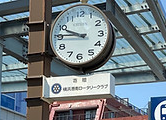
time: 9:45
